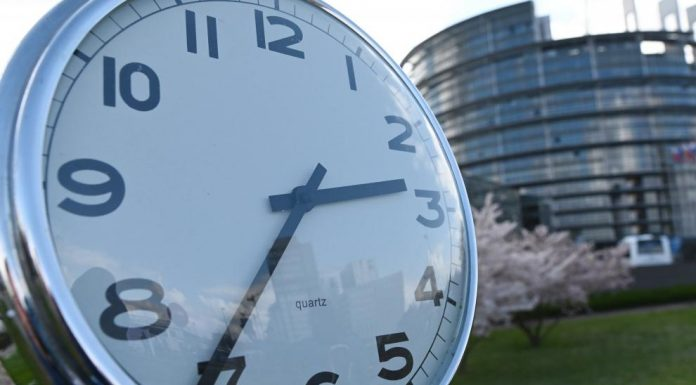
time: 2:36
